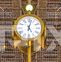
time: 5:02
